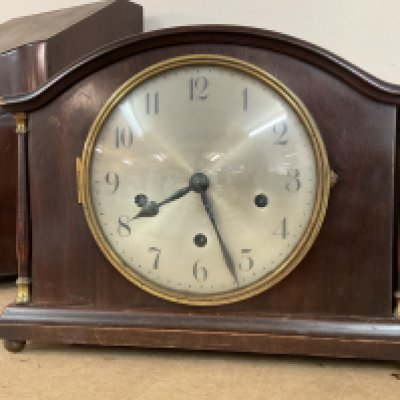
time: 8:26
